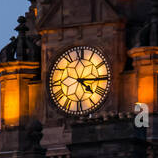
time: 4:14
